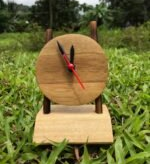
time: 11:55
